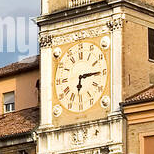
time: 6:14
